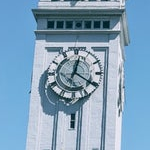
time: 12:20
